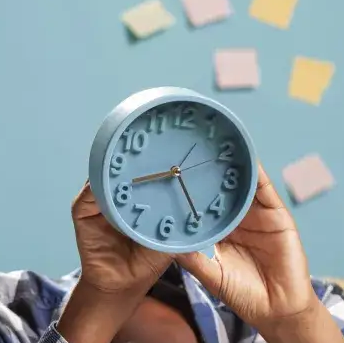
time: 8:23
